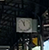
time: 11:56
